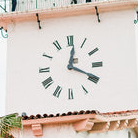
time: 12:19
